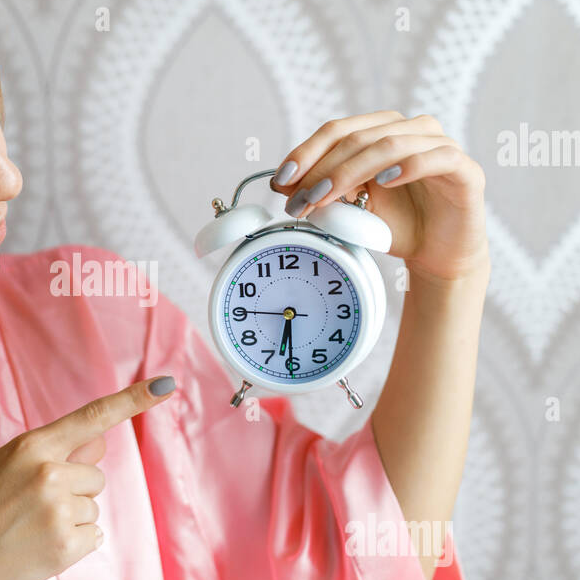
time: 6:30
